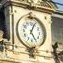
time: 5:04
